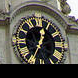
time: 12:34
